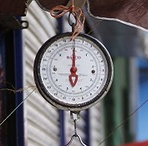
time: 5:59
